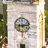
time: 6:13
